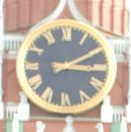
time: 3:10
